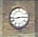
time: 2:42
